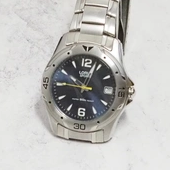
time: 10:03
